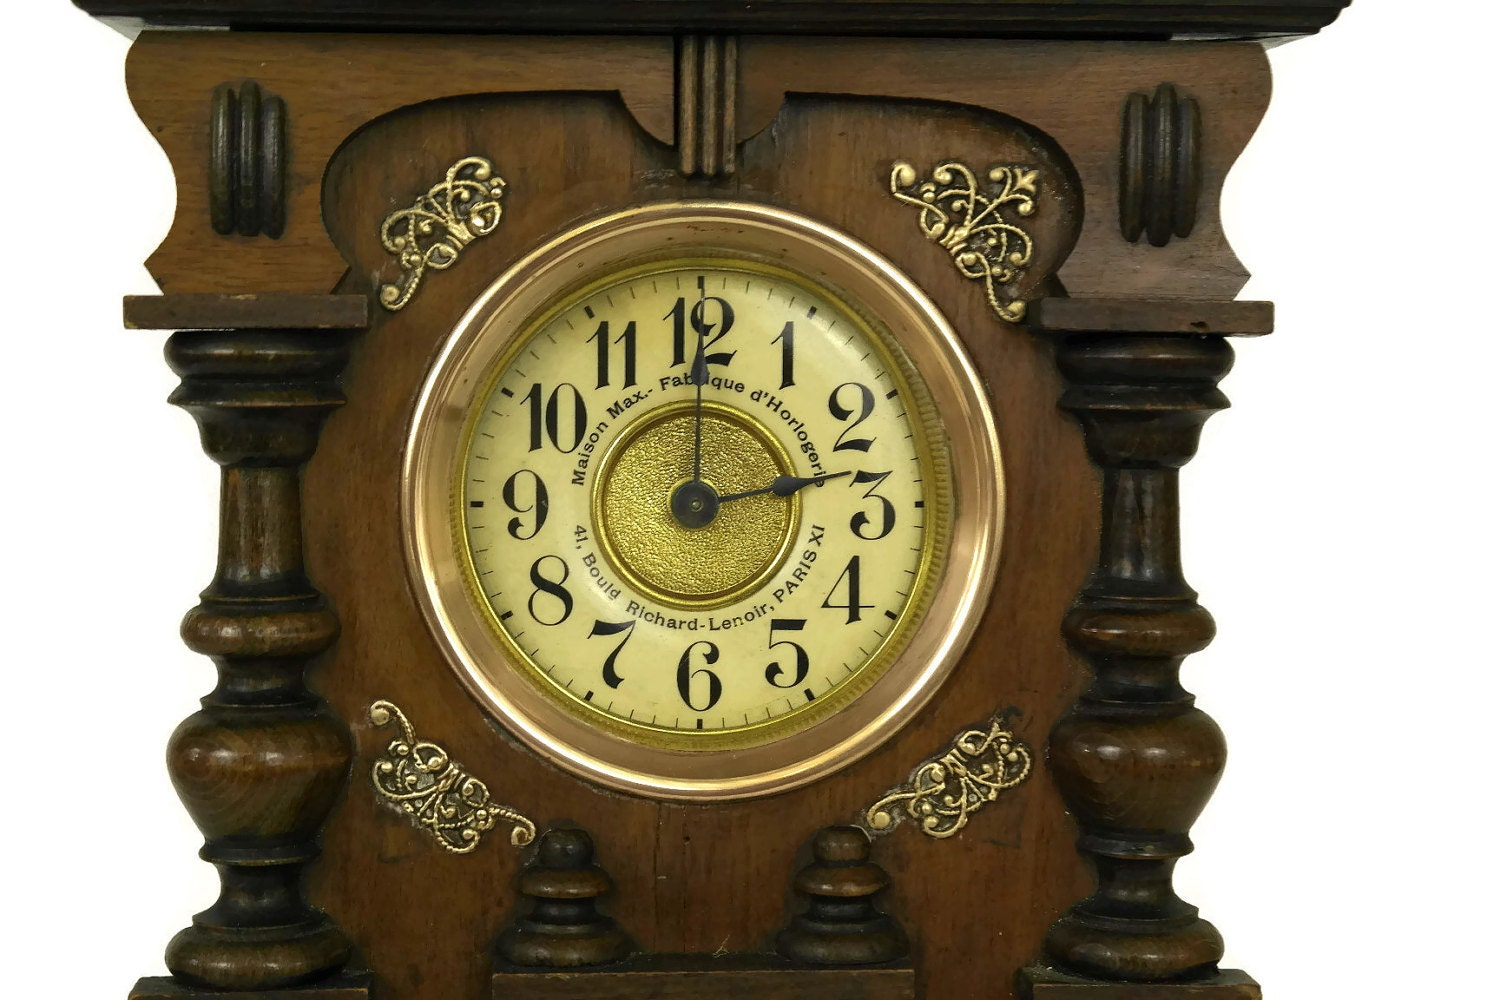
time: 12:12
